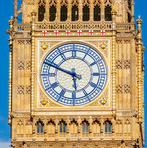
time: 5:48
